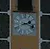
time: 2:18
